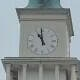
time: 10:59
